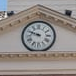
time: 9:48
